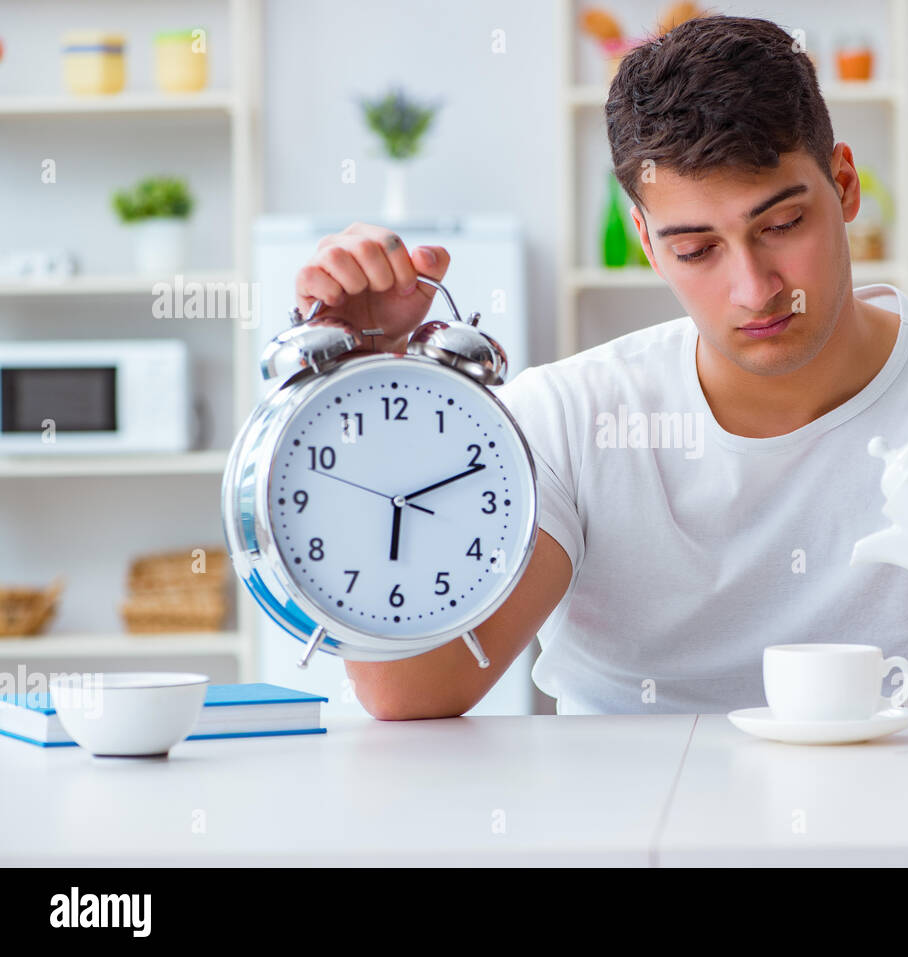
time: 6:11
